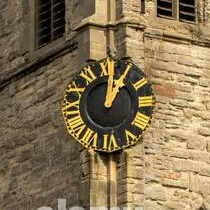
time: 1:02
